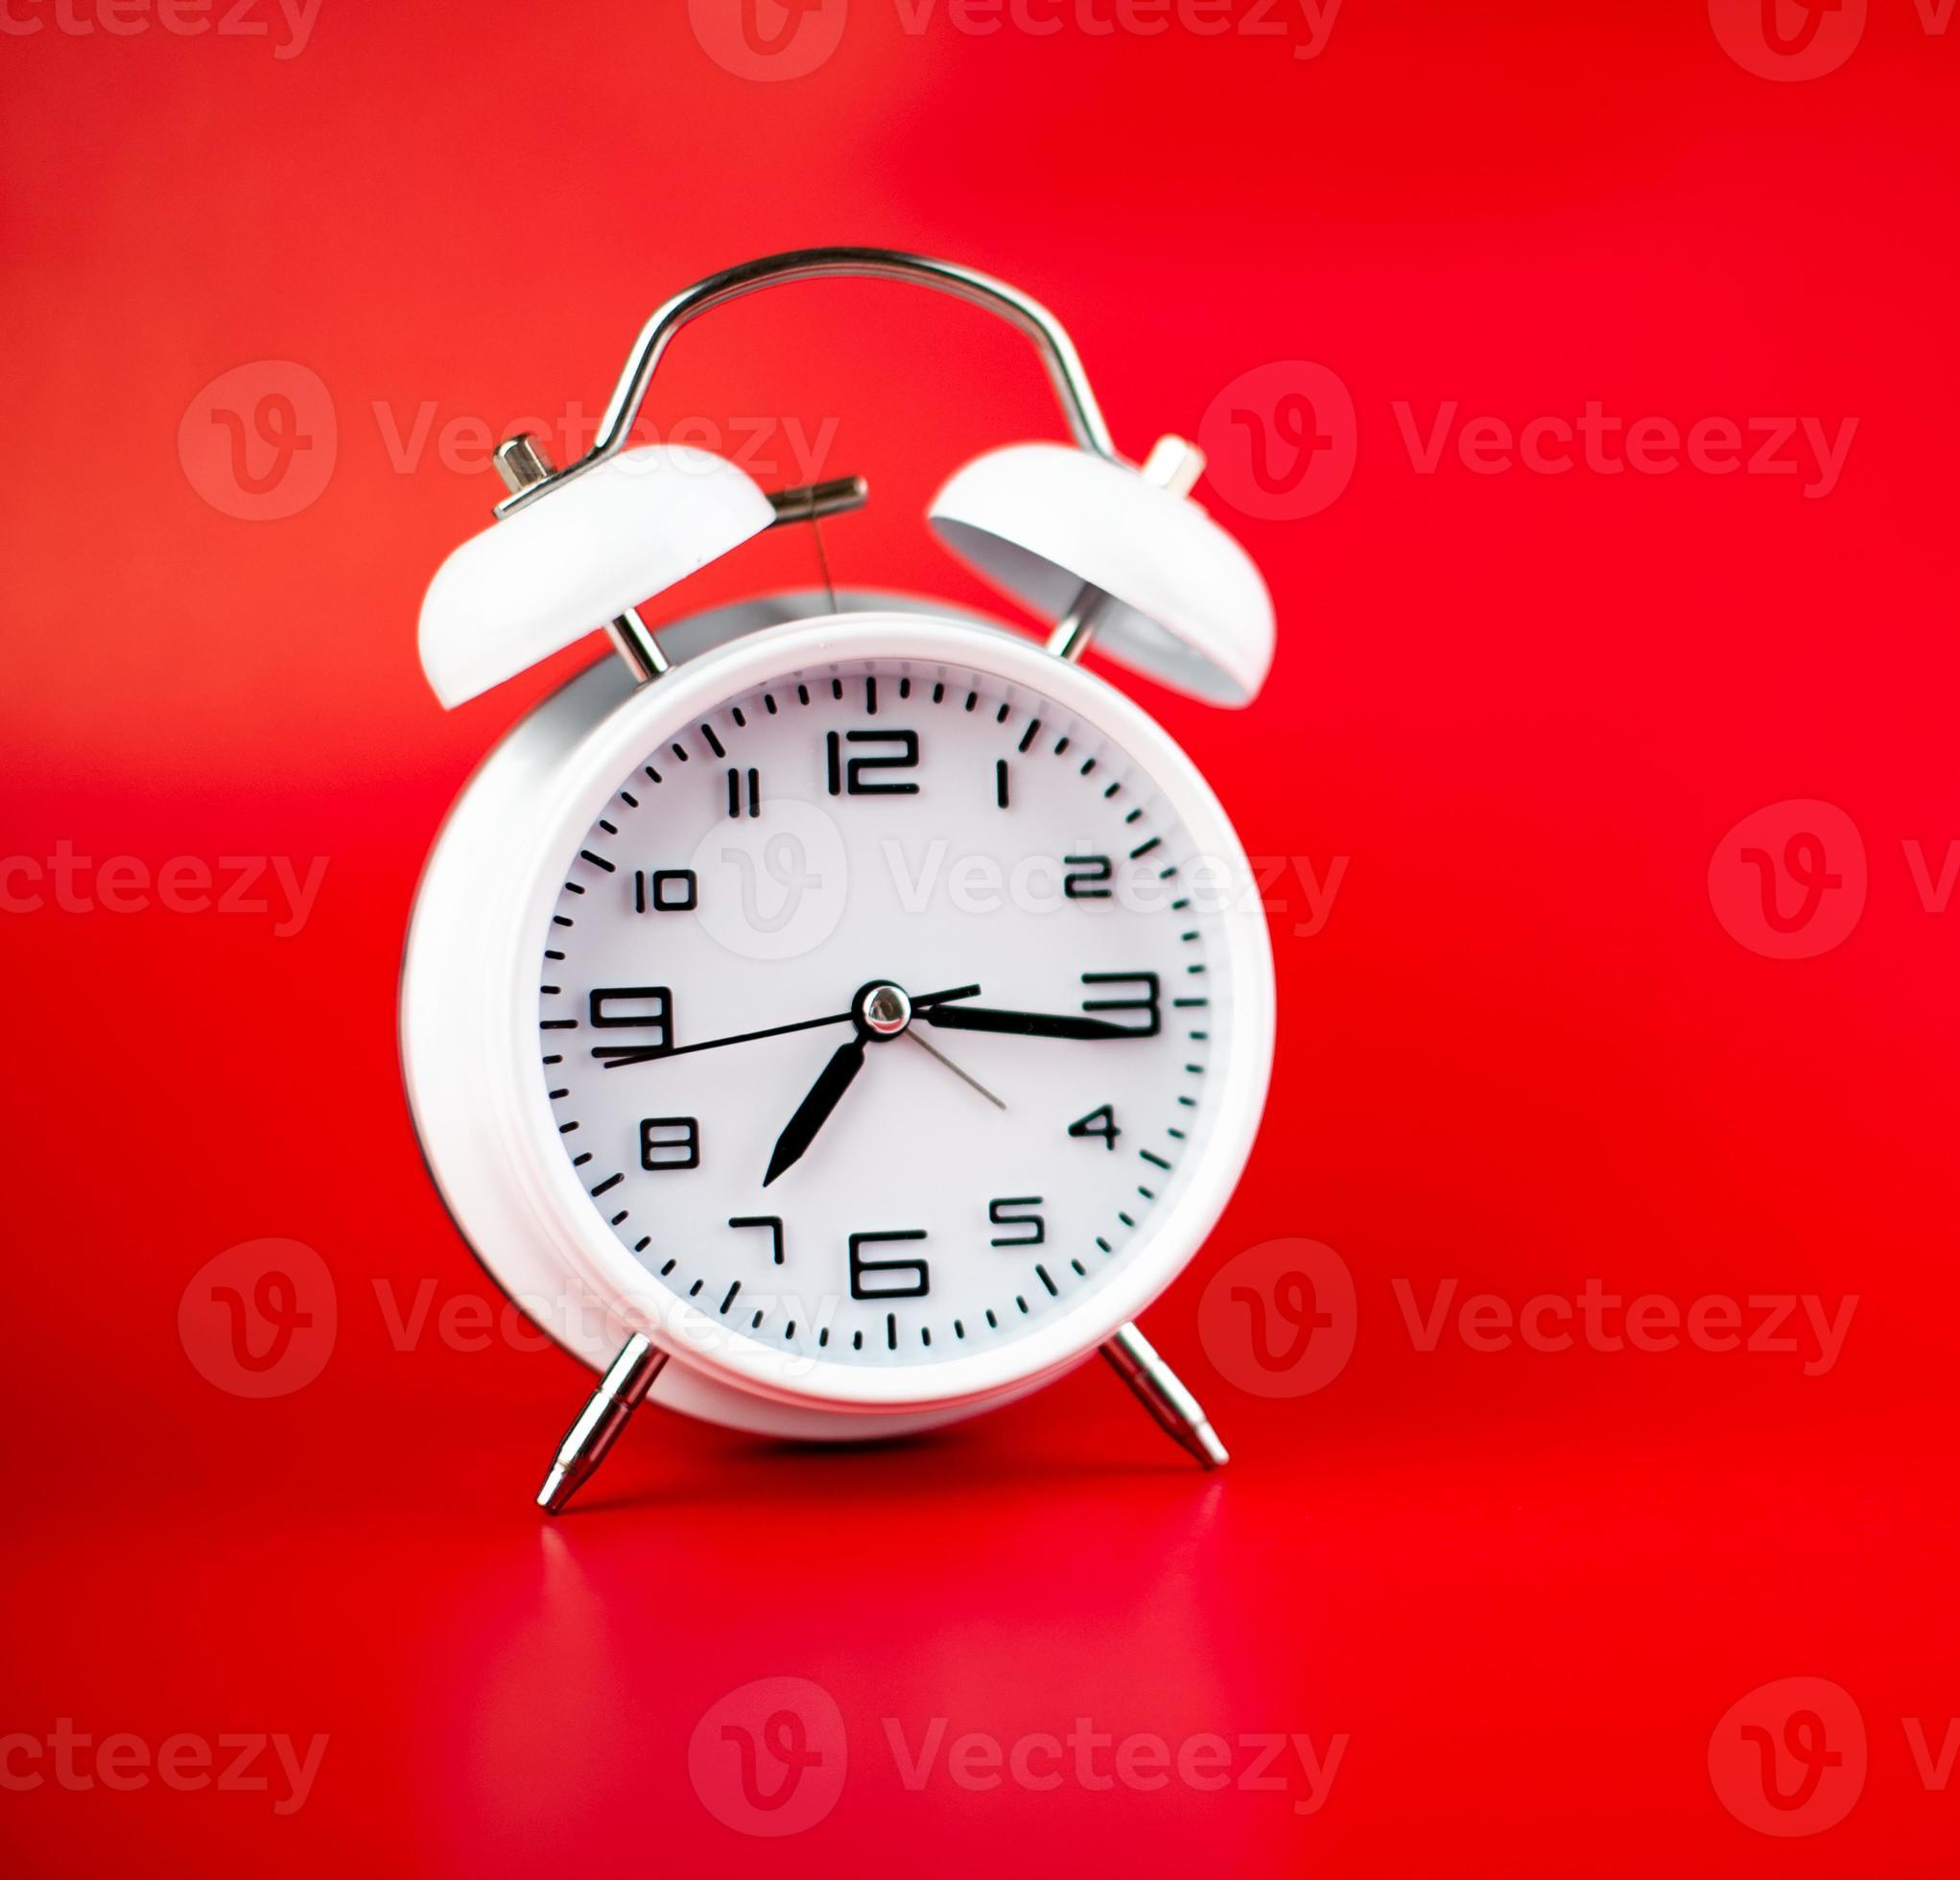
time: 7:15
